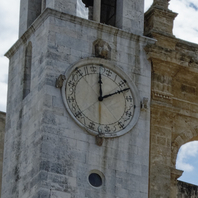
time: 12:11
